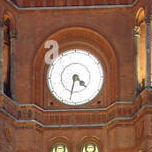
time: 4:32
